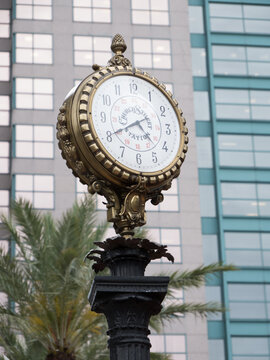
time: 4:40
